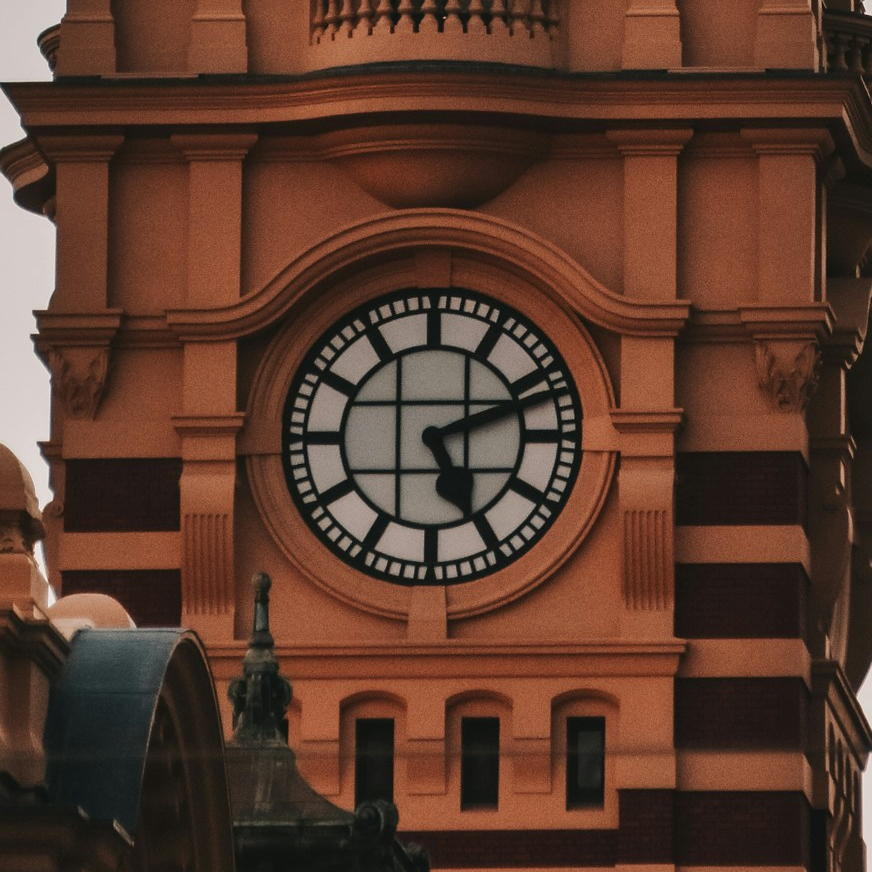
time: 5:11
